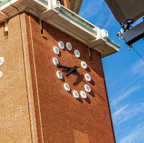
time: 7:43
